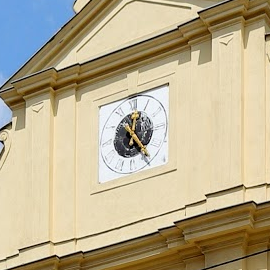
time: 12:24
